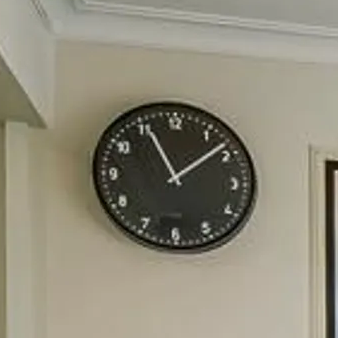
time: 11:08
